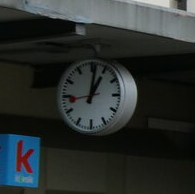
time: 1:01
